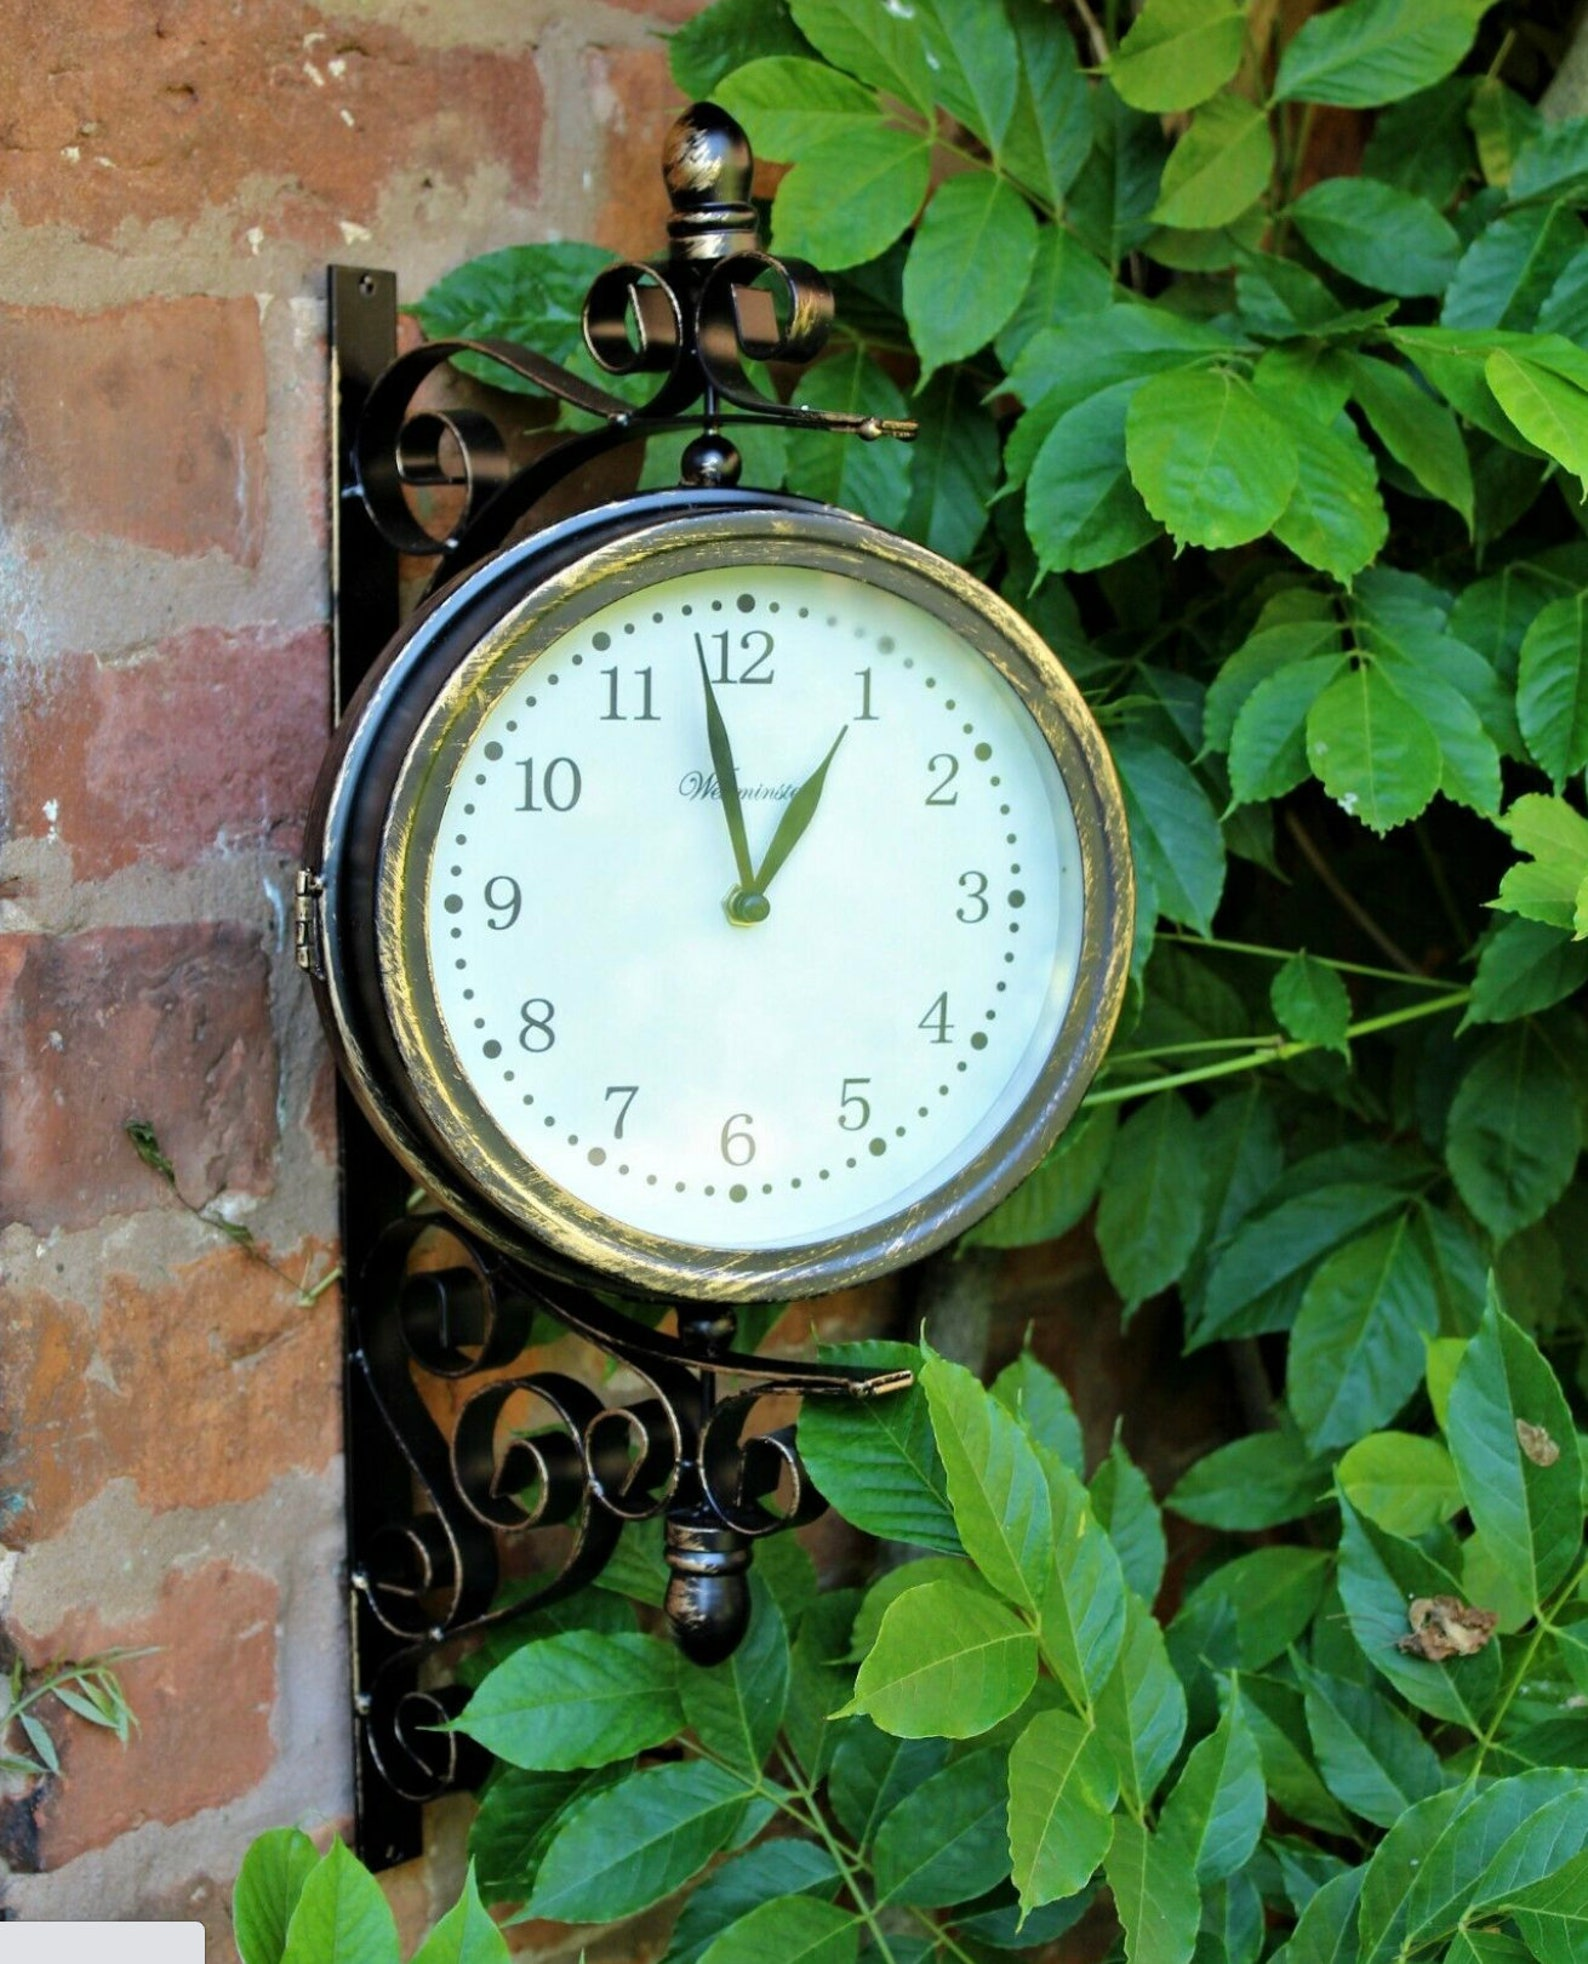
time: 12:58
